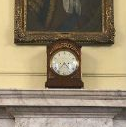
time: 4:36
